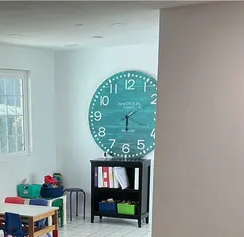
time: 6:10
